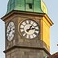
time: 1:12
